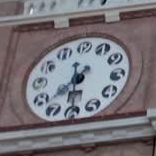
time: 7:30
